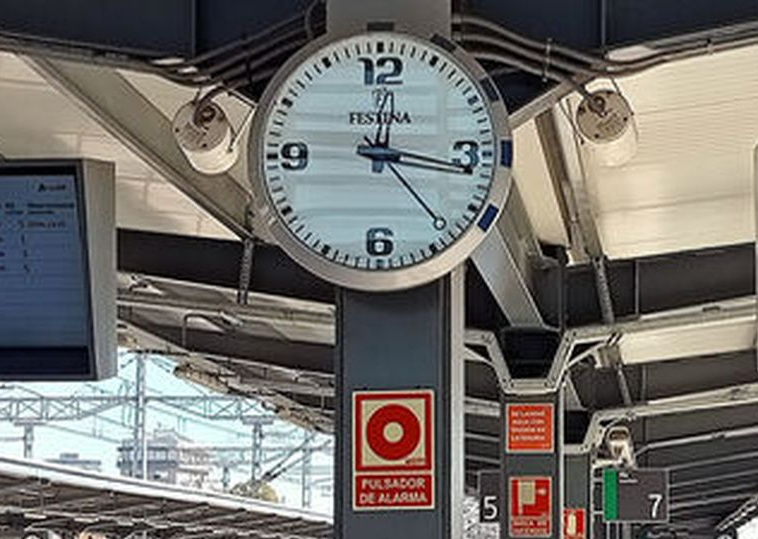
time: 12:16
